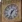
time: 1:33
